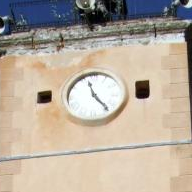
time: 11:23
